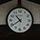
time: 10:39
